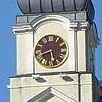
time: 5:40
